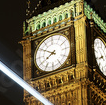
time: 7:50
